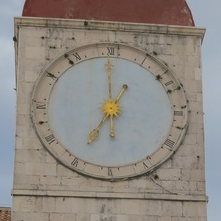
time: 7:00
